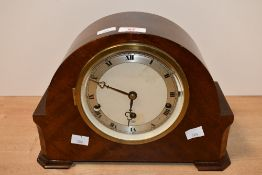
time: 5:49
